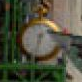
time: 2:32
